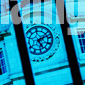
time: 5:11
